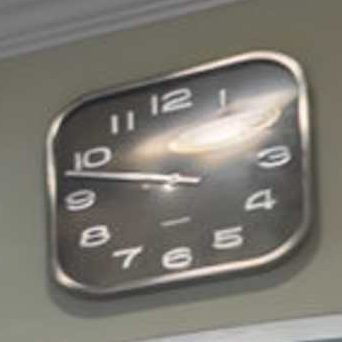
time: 9:48
